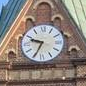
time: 9:34
